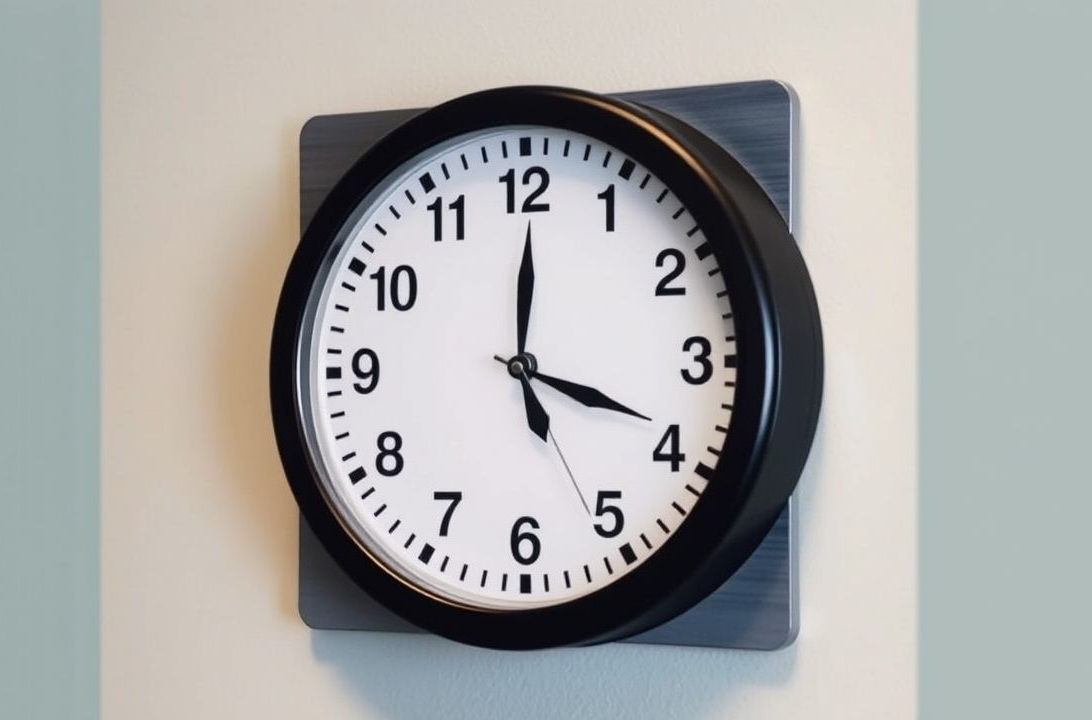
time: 4:00
